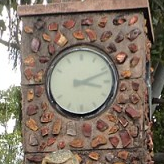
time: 3:11
